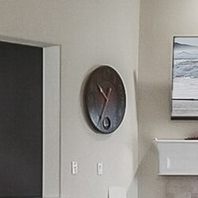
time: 10:34
